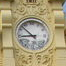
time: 8:52
